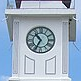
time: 10:34
